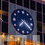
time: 7:20
